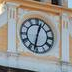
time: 12:32
